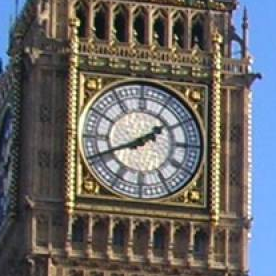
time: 1:41
